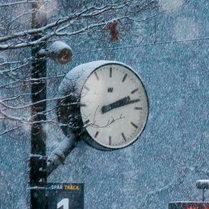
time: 2:12
